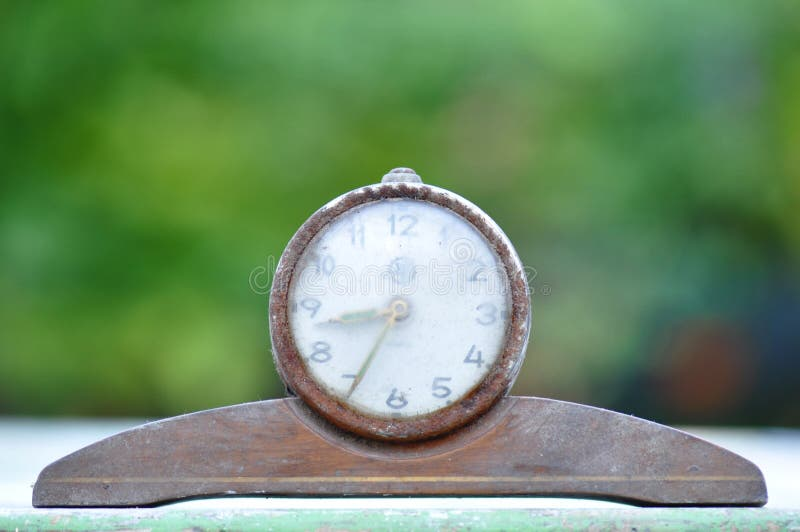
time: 8:34
